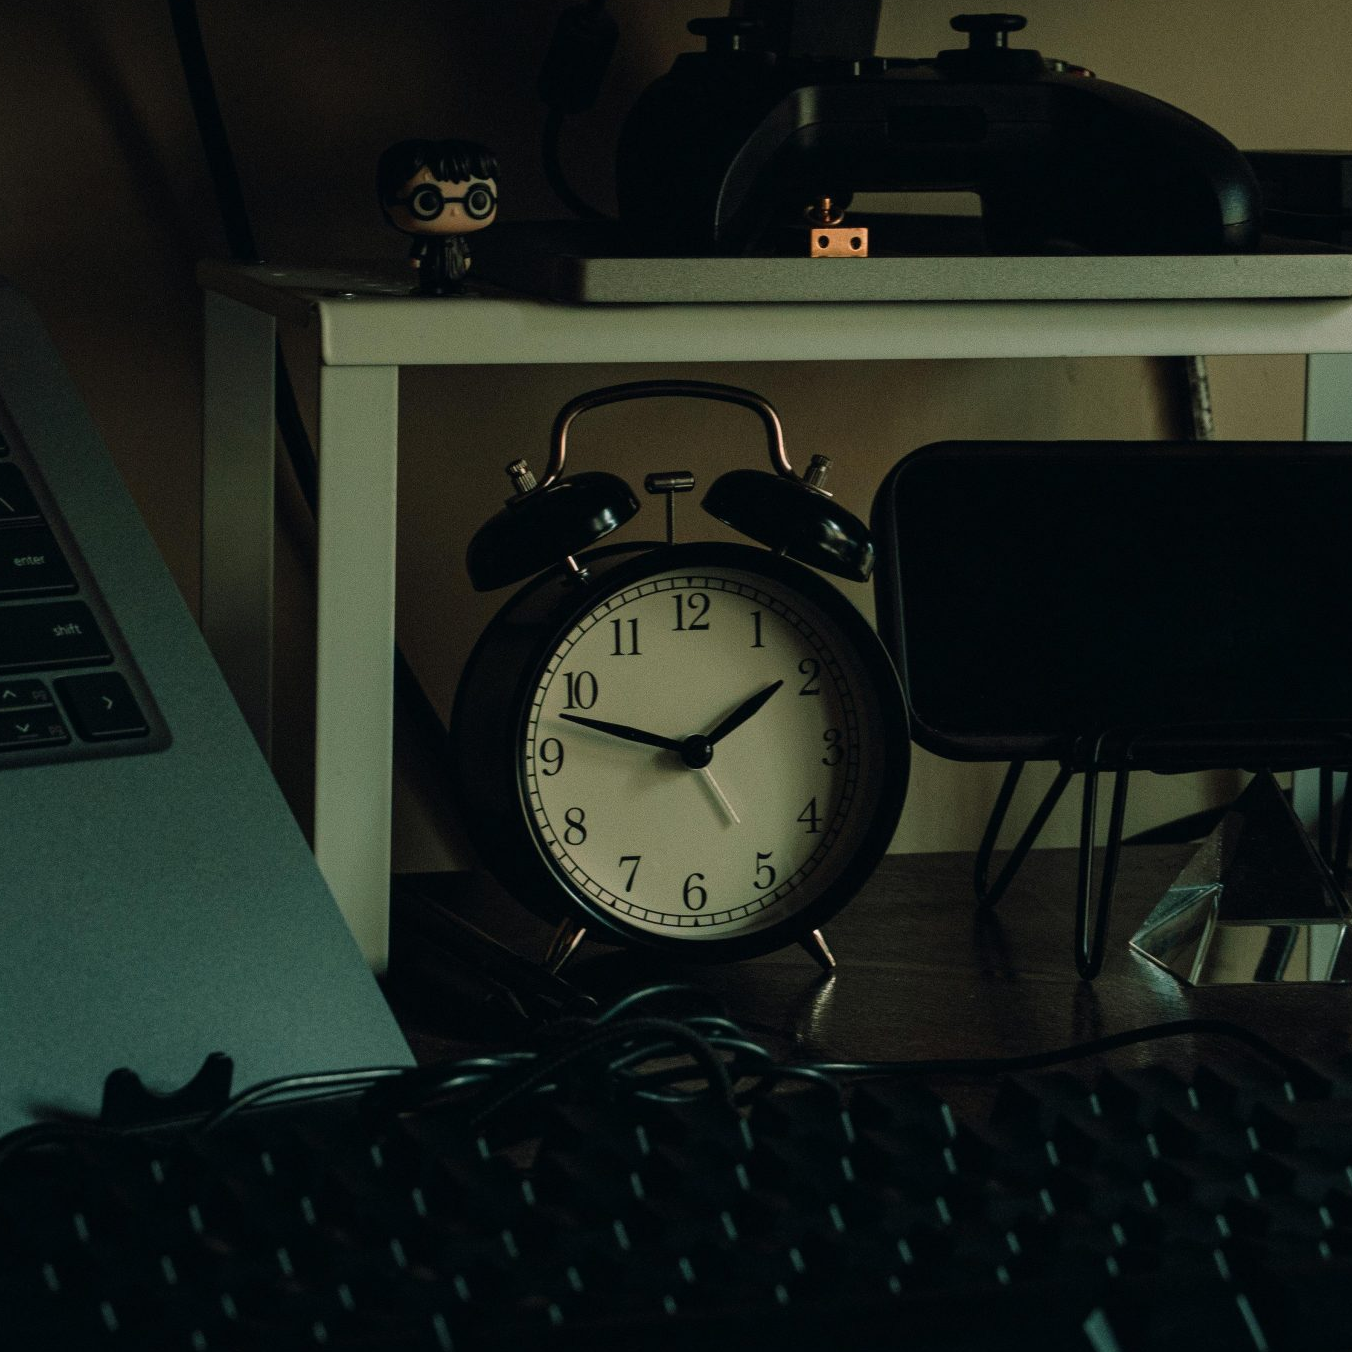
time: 1:47
